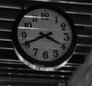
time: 3:40
